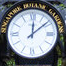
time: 12:08
